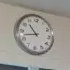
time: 10:42
